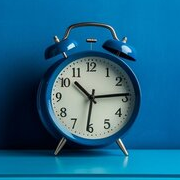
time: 10:14
